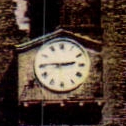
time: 2:45
